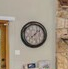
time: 8:07
